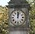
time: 12:02
